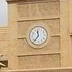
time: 11:36
